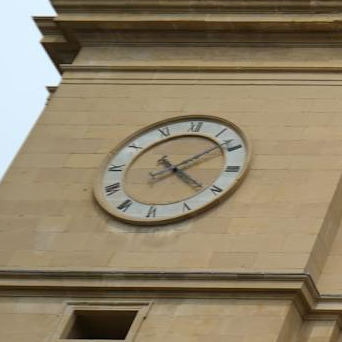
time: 4:08
